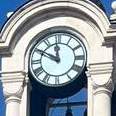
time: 11:49
